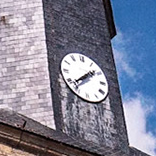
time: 1:38
